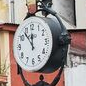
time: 11:53
